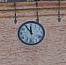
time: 11:54
